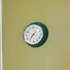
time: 7:36
